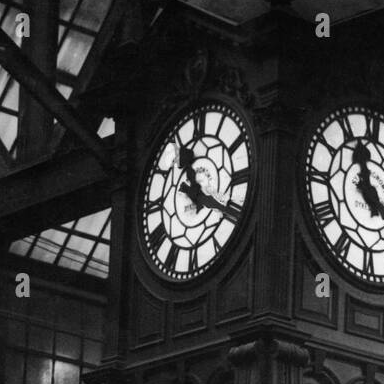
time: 11:19
